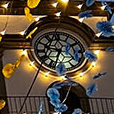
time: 9:33
